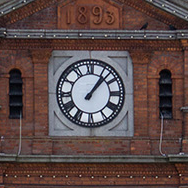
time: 1:07
